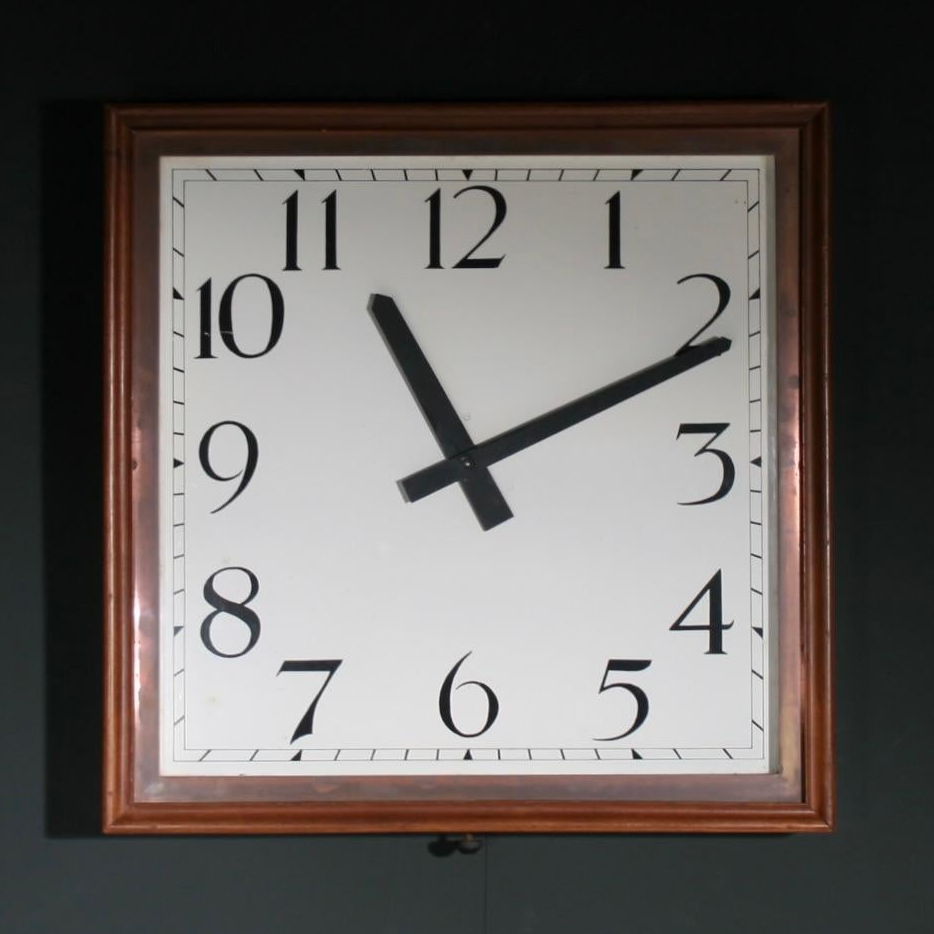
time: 11:10
